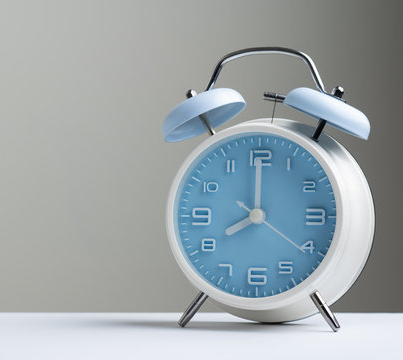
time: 8:00
